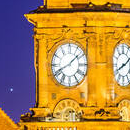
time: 1:41
